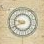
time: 7:46
